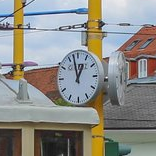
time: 12:57
